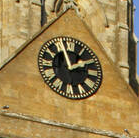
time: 1:56
